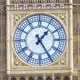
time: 1:24
